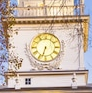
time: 6:32
